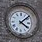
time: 4:07
